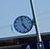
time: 4:59
